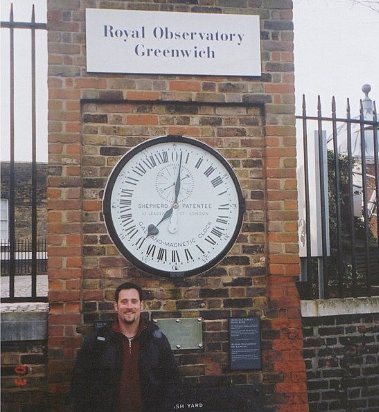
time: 7:00
